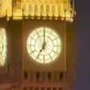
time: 7:00
